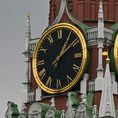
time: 1:09
